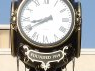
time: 8:40
